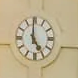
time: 4:59
